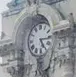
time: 5:15
